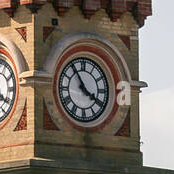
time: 3:54
